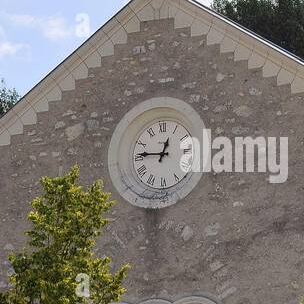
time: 12:46
